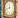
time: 11:42
